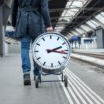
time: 2:16
